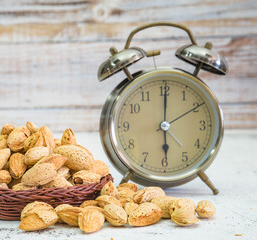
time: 6:00
